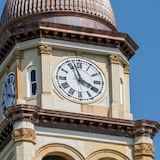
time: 3:57
